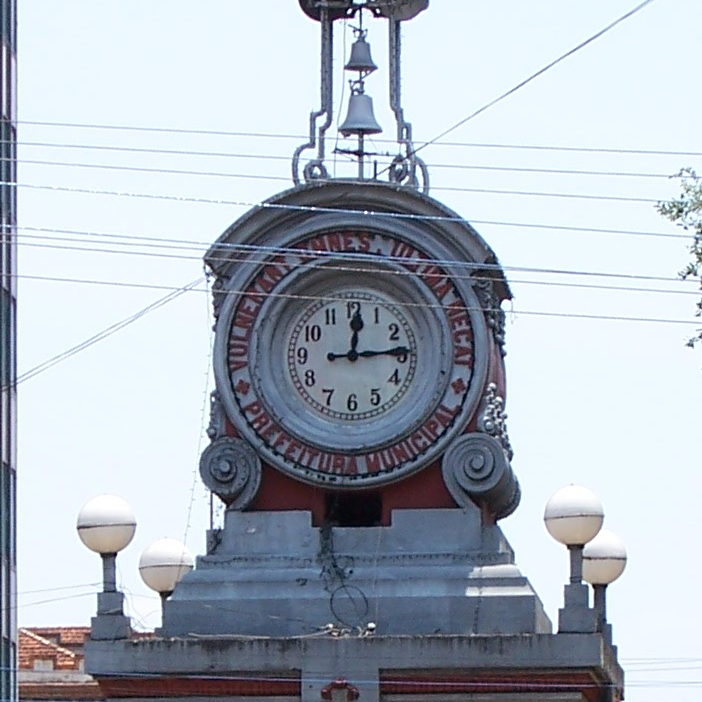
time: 12:14
